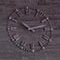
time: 10:12
